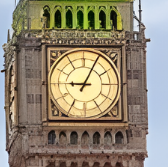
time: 9:04
